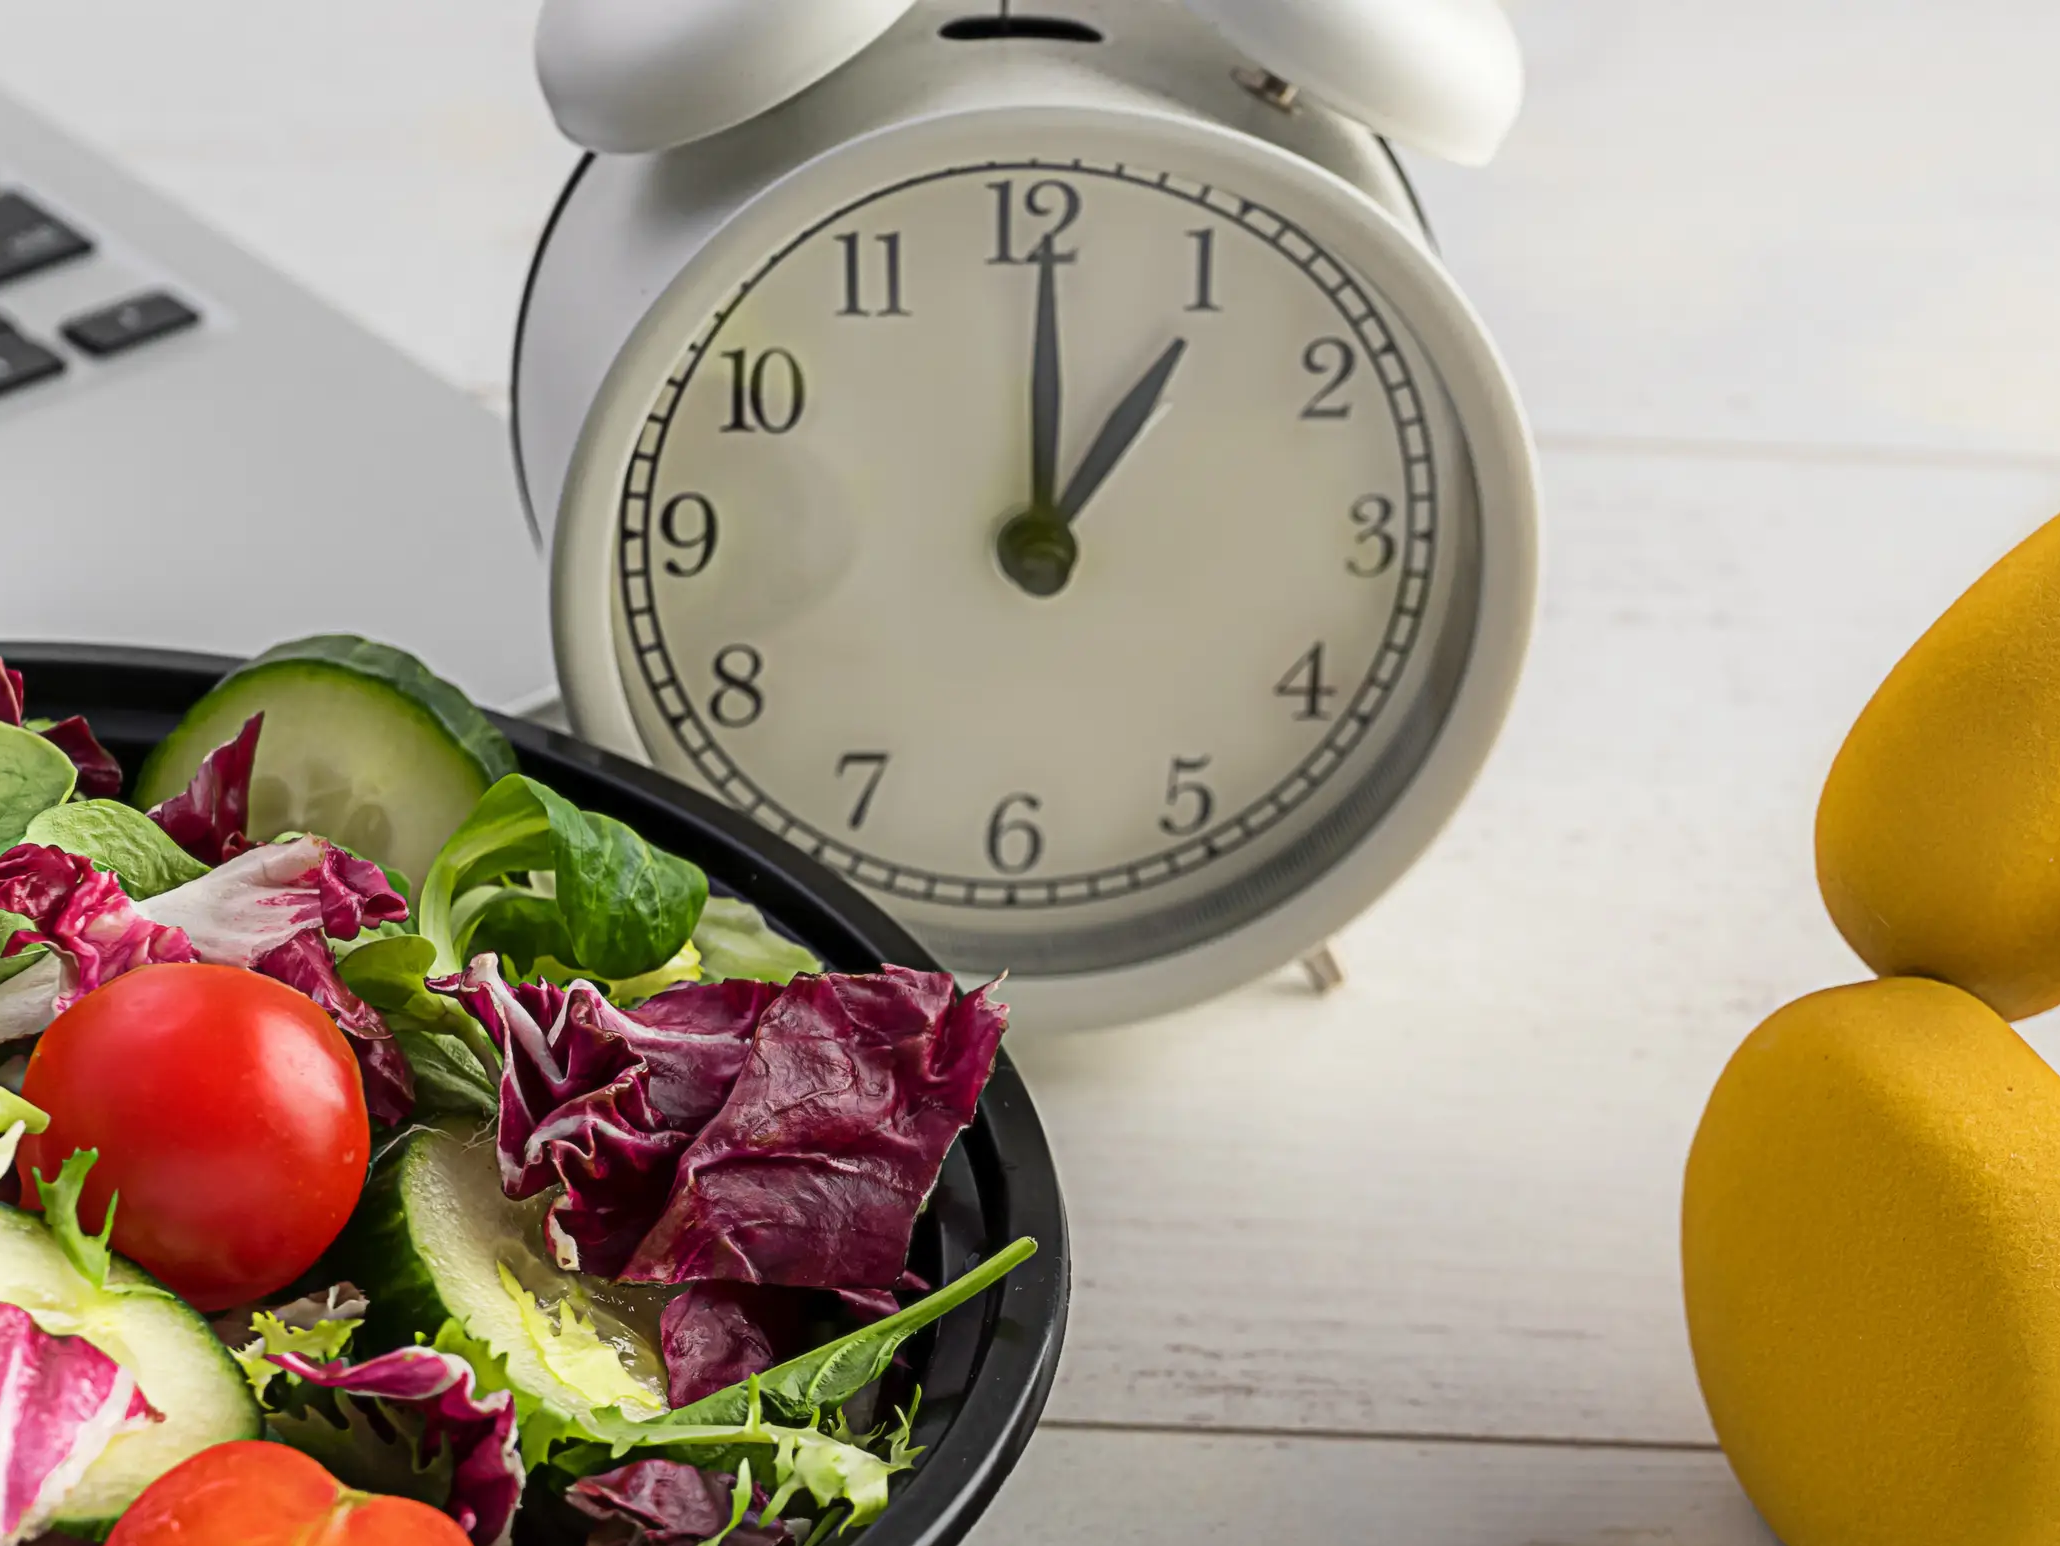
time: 1:00
